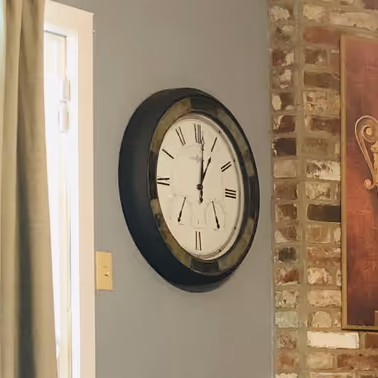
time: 1:01
